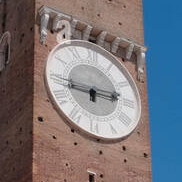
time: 2:44
